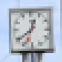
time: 12:38
